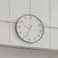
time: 9:33
